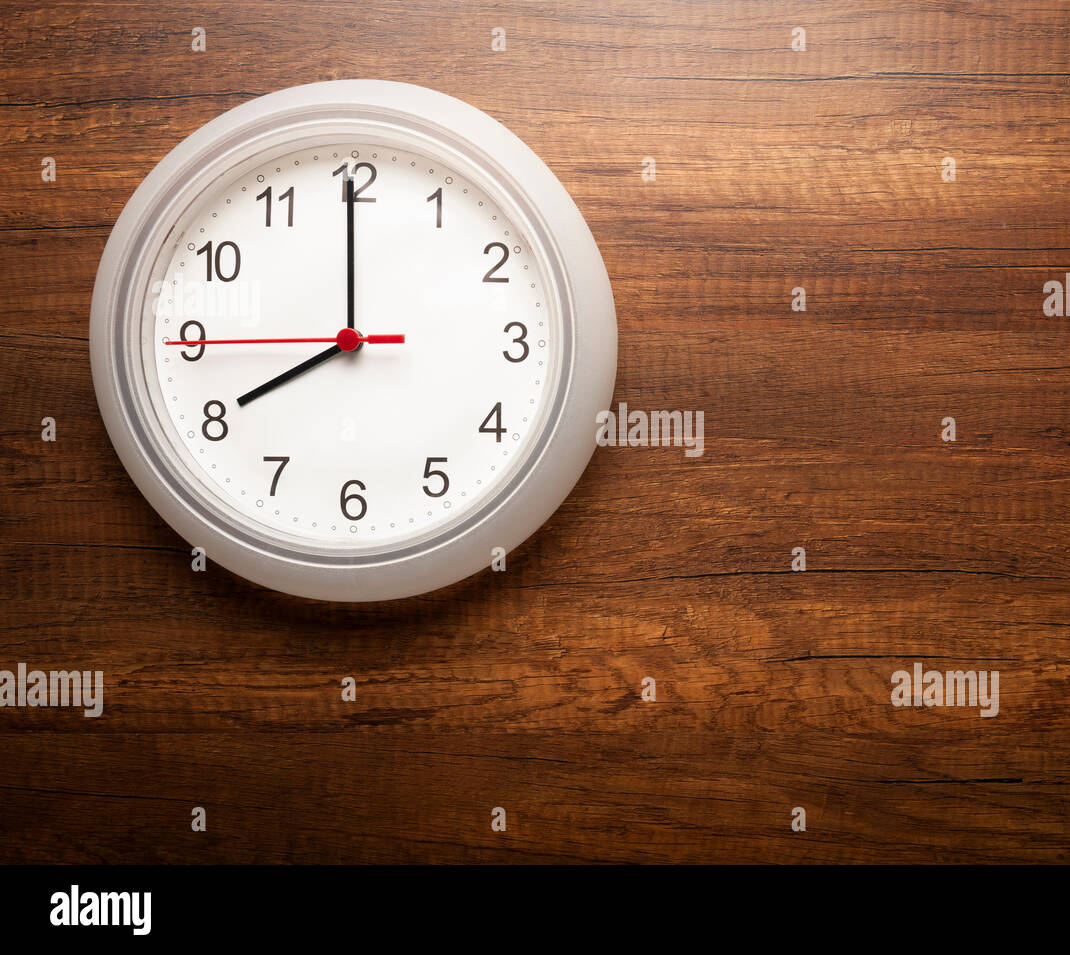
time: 7:59
